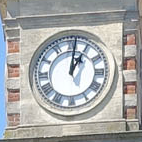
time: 1:01
